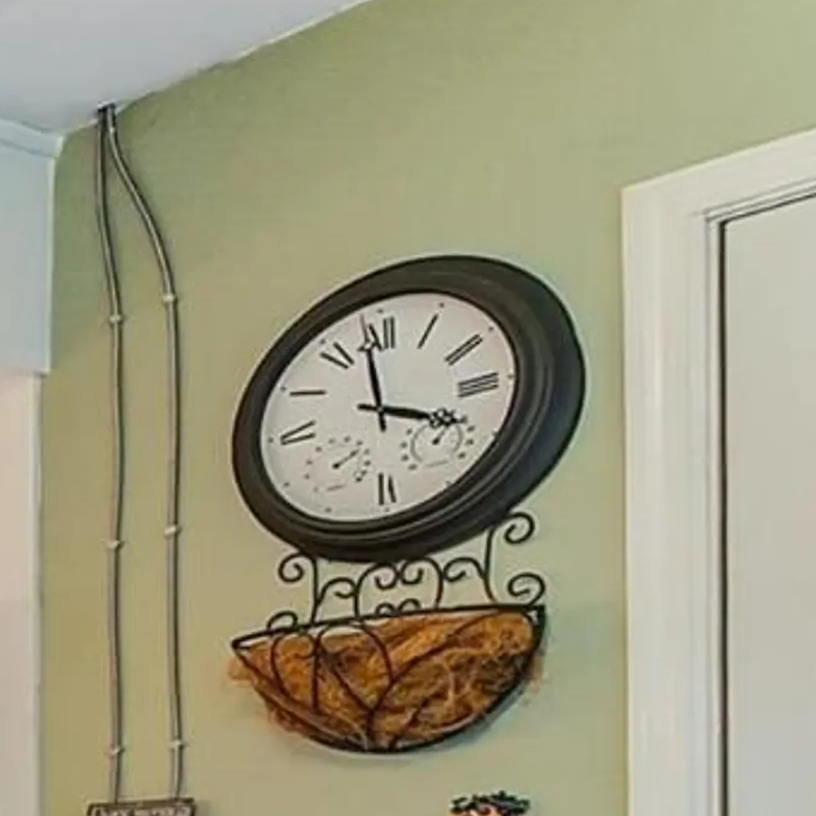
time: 3:58
